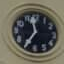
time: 11:35
